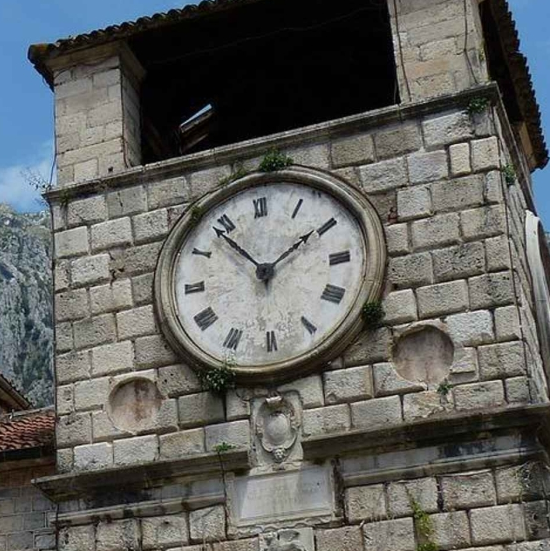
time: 1:53
